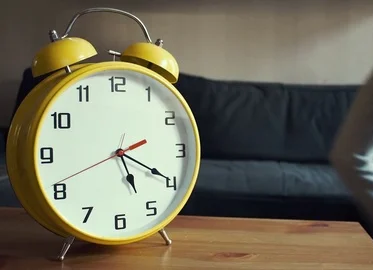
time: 5:19
